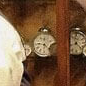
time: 4:45
